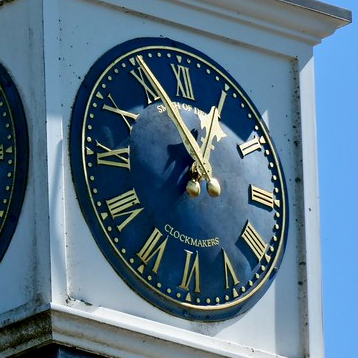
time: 12:55
